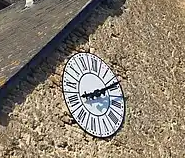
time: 8:09
